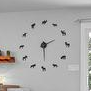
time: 2:29
